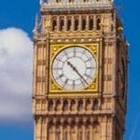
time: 10:22
